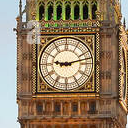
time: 9:12
